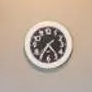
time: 4:35
